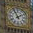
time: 1:56
